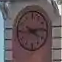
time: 4:13
